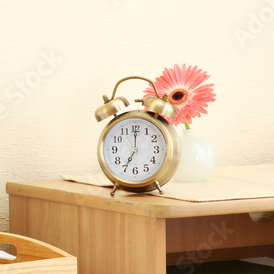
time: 7:00
